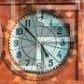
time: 4:52
